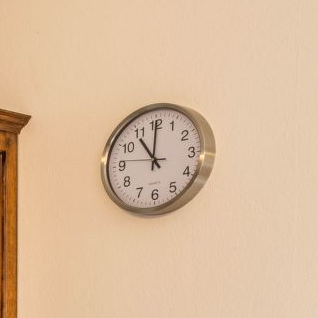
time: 11:00
